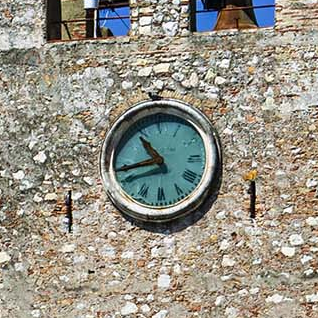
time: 10:43
